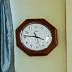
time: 3:46
